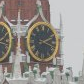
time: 2:18
